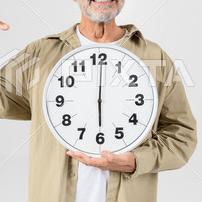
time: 6:00
